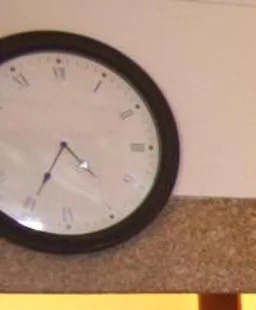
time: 4:34
